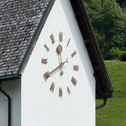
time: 11:40
